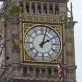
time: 2:02
